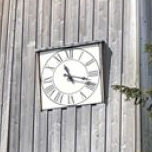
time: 11:17
